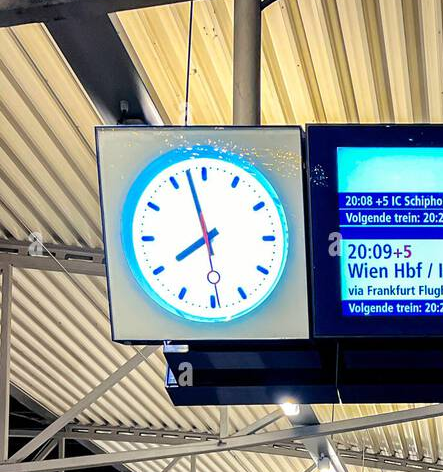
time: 7:57
